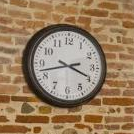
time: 3:42
